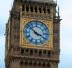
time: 3:52
